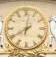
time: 8:01
